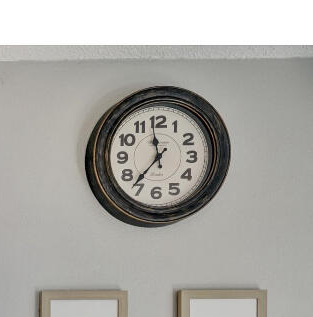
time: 11:36
